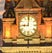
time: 9:01
